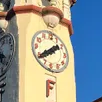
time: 1:39
